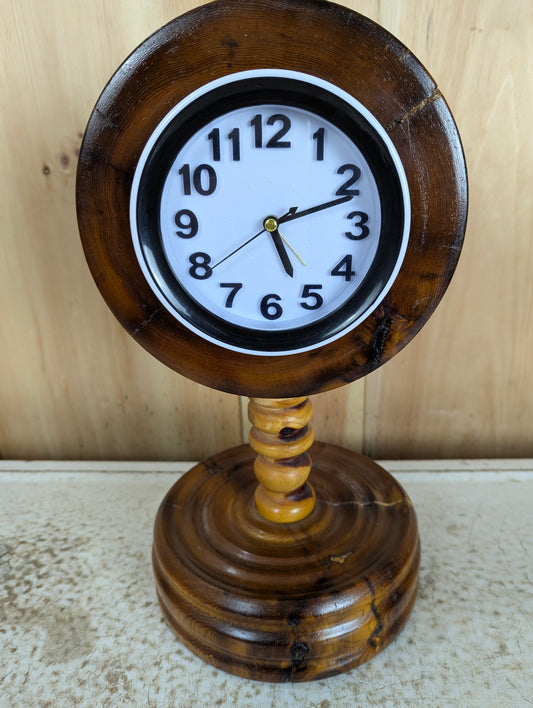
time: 5:11
